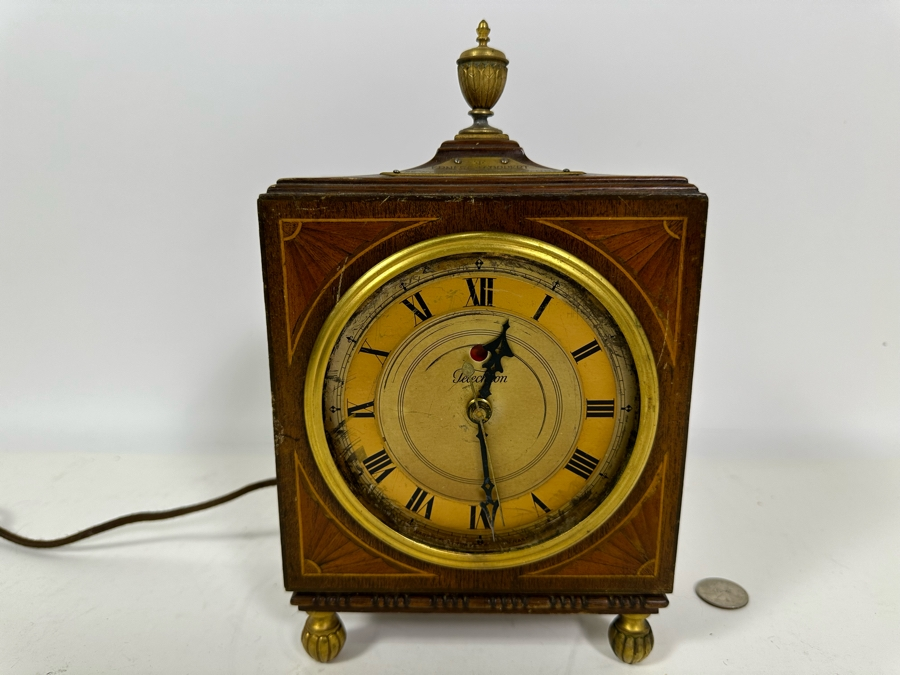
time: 12:29
